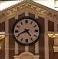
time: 4:41
